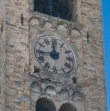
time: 11:44
